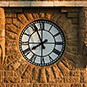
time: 7:55
